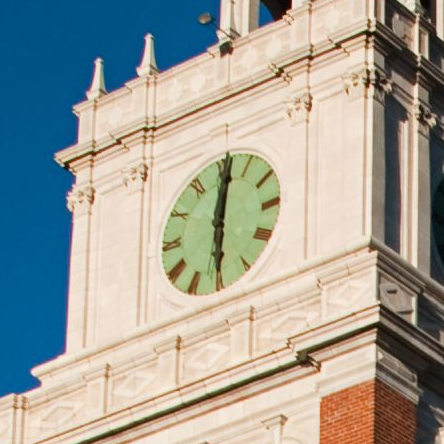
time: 6:01
